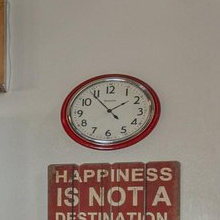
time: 1:53
